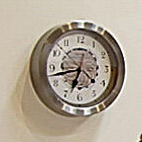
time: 6:42
